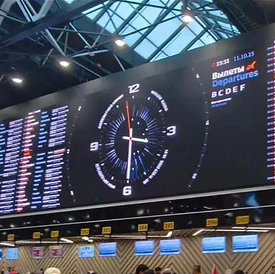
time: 3:29
